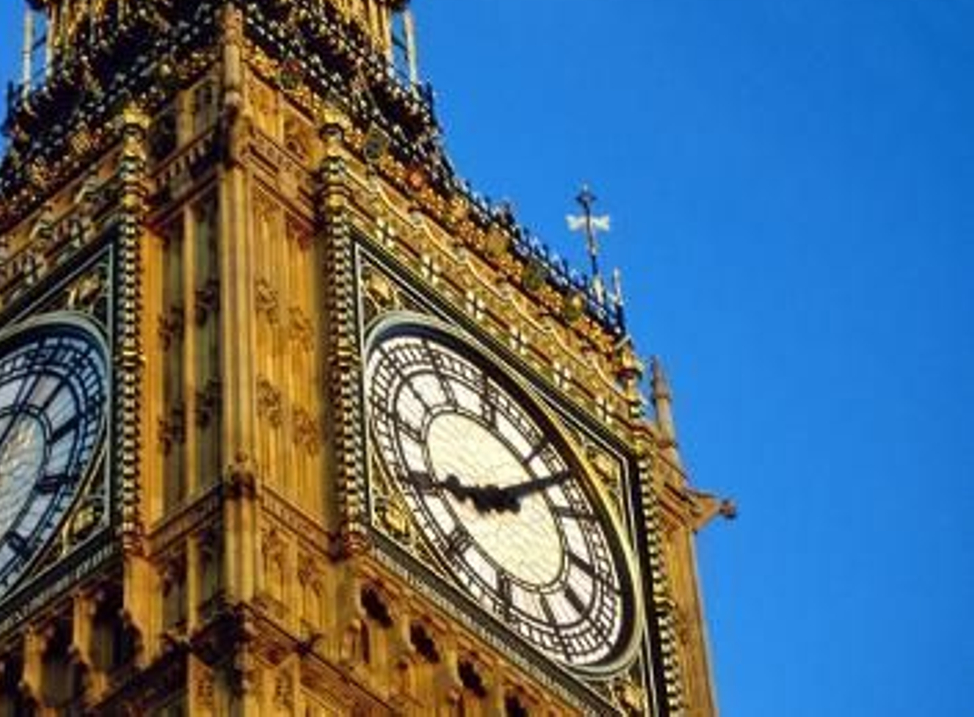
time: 8:07
